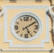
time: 5:09
